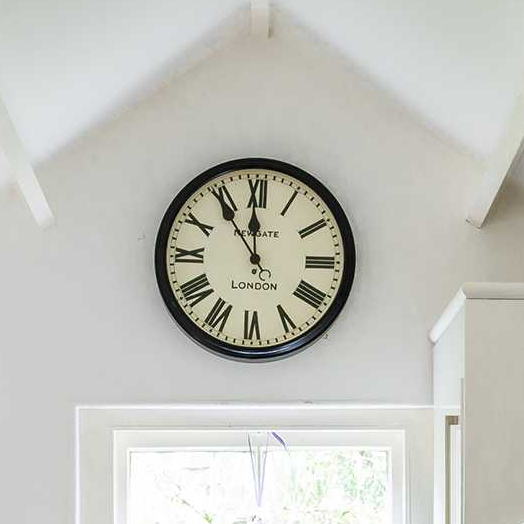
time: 11:54
